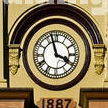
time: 3:57
